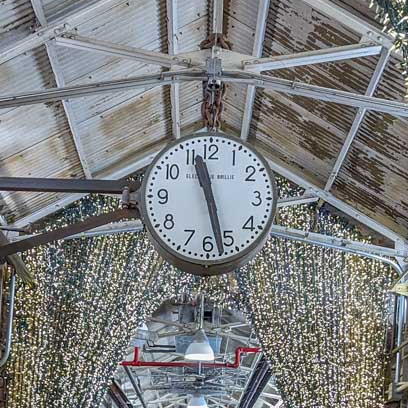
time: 11:27
